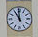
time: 10:59
